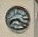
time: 8:21
